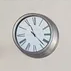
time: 11:22
